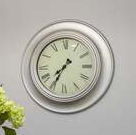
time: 7:35
